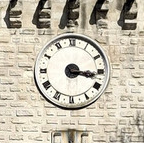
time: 3:16
